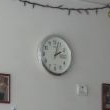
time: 2:02
